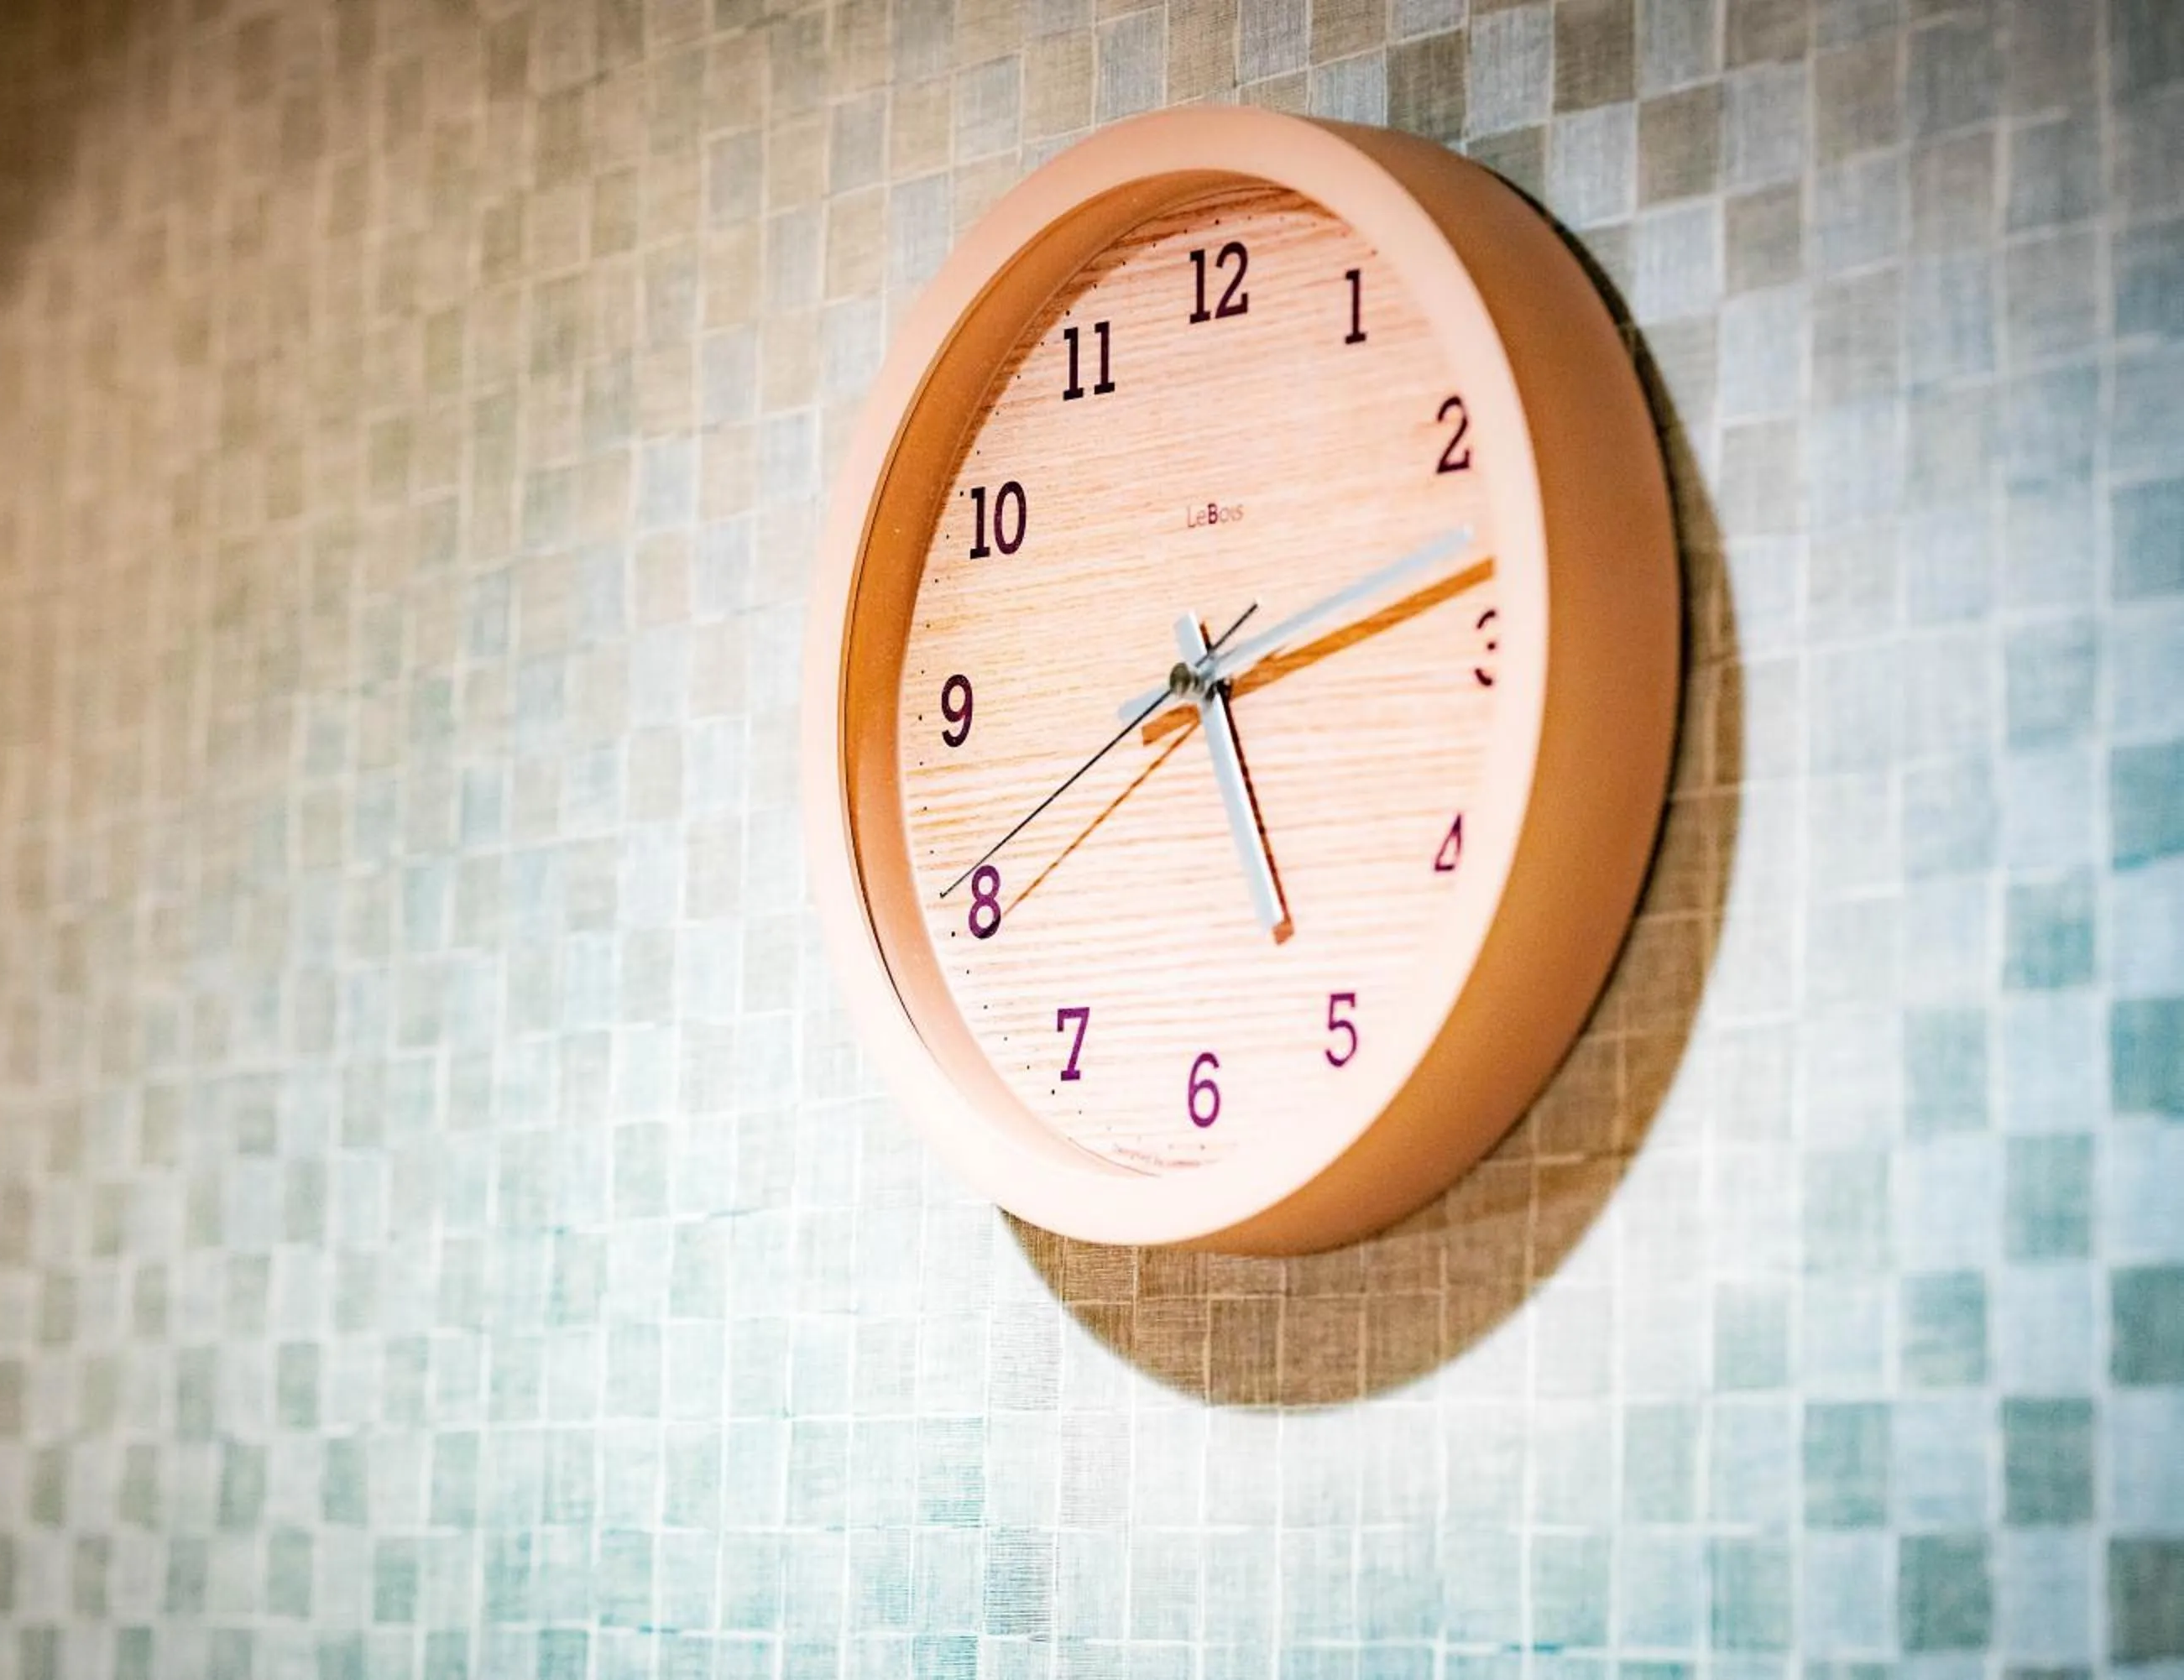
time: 8:12
